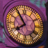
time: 7:54
